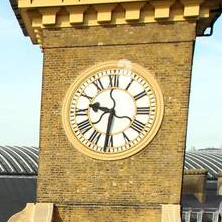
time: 9:31
